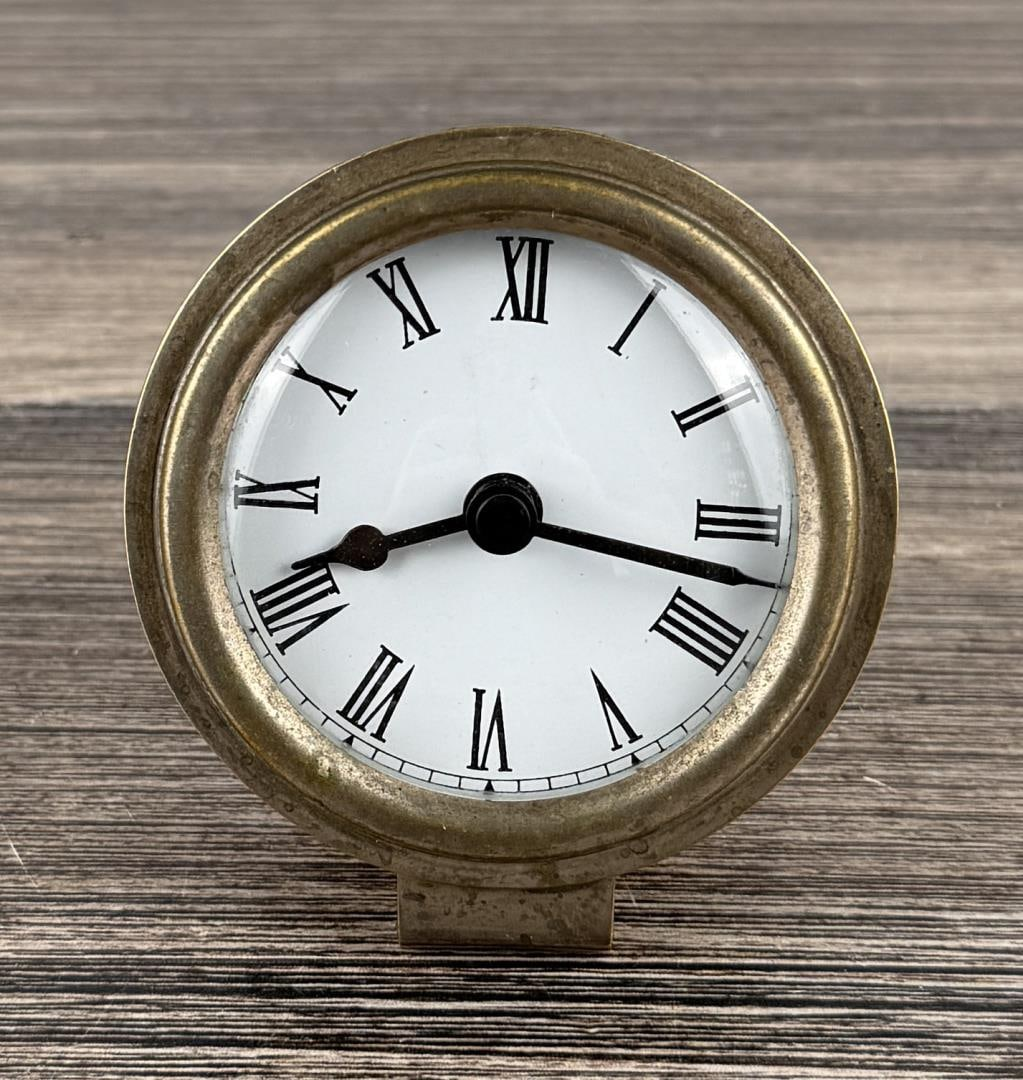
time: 8:17
